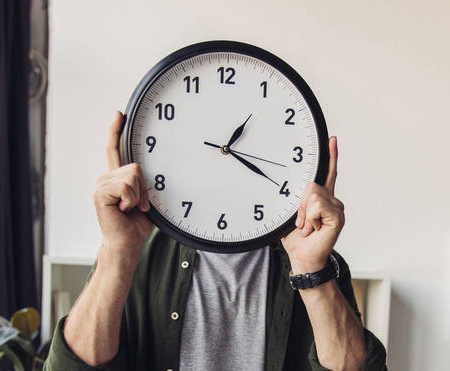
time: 1:20
